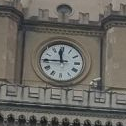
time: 11:45
